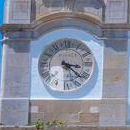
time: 3:22
